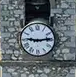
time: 9:13
